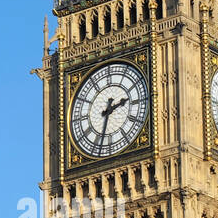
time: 2:33
